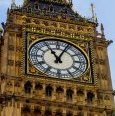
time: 11:04
